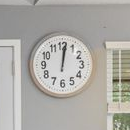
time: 12:01
